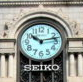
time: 10:12
